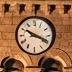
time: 3:50
